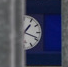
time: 1:18
